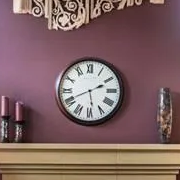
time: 5:41
